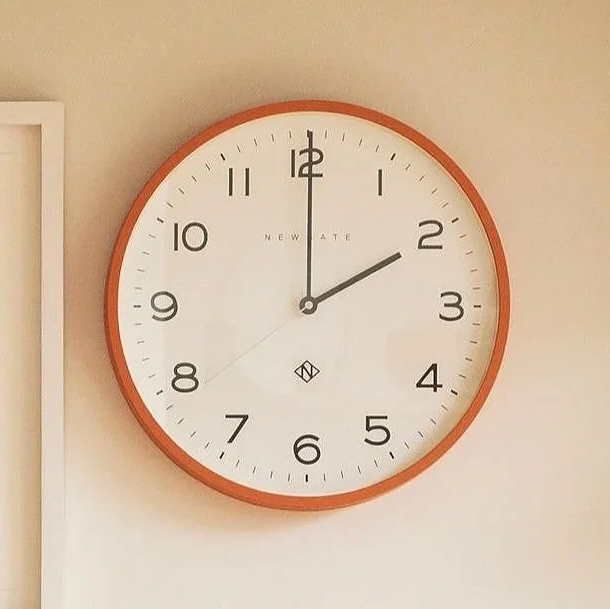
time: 2:00
